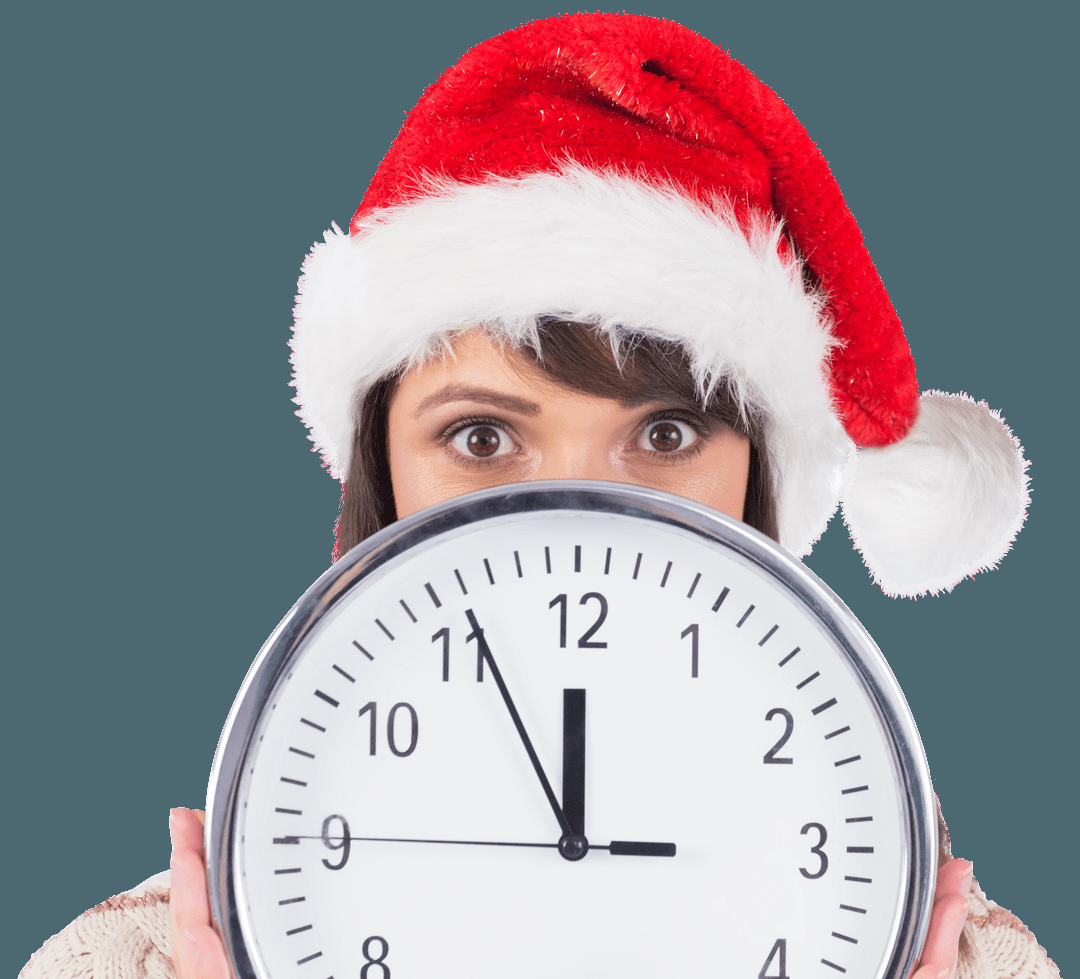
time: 11:55
